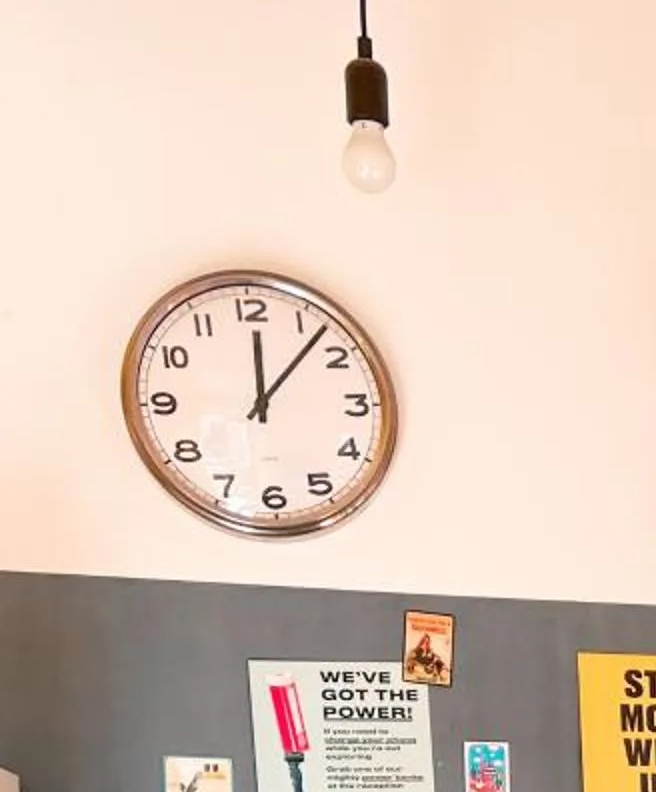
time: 12:07
